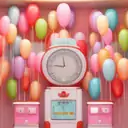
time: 11:46
